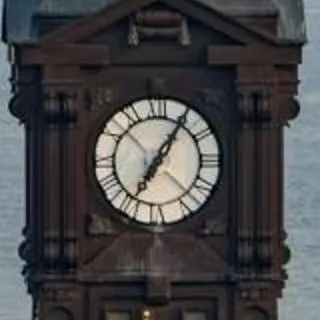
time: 7:05
